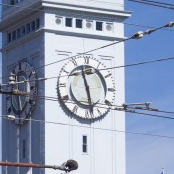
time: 11:28
